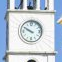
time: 9:50
